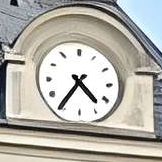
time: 4:35
